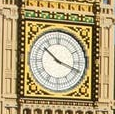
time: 10:18
